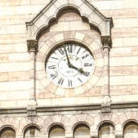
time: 3:57
